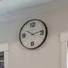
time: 10:12
